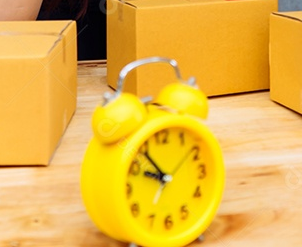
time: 9:53
